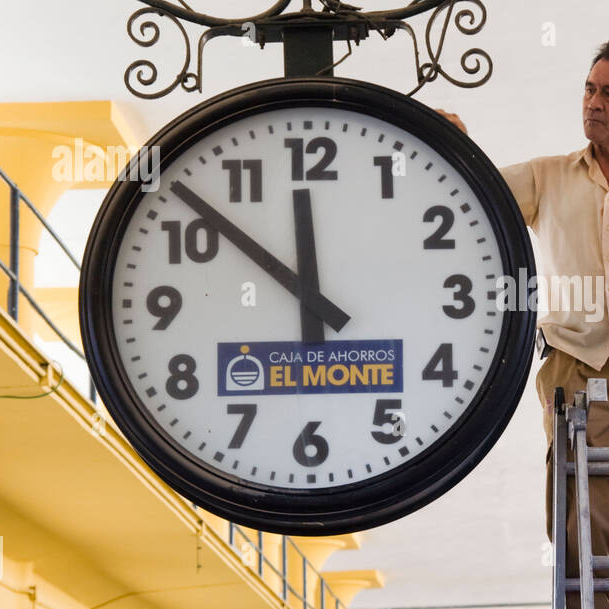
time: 11:51
